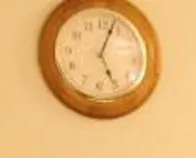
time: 5:03
